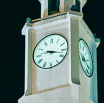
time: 9:17
